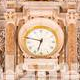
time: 6:47
